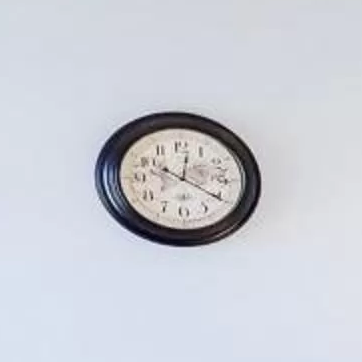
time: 12:20
